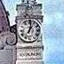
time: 1:02
